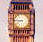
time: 8:46
